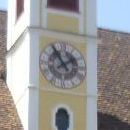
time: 1:54
